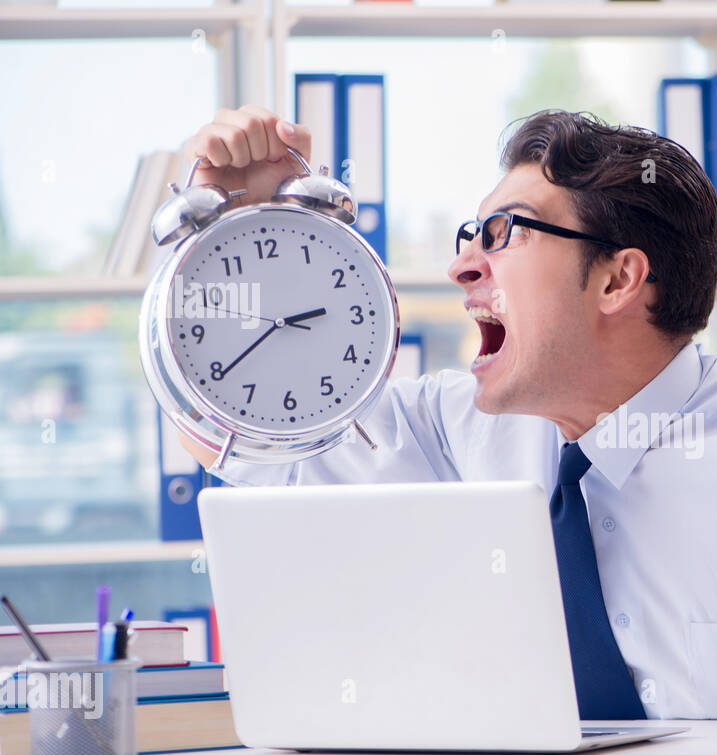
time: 2:39
